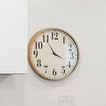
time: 3:54
